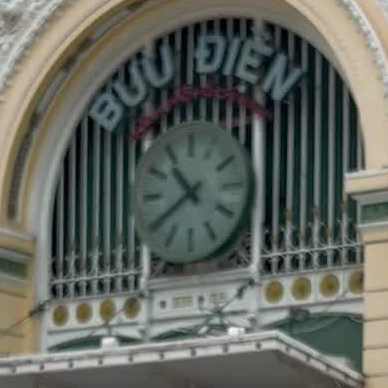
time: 10:39
